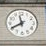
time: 11:40
